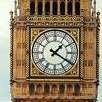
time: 1:20
